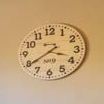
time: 3:39
